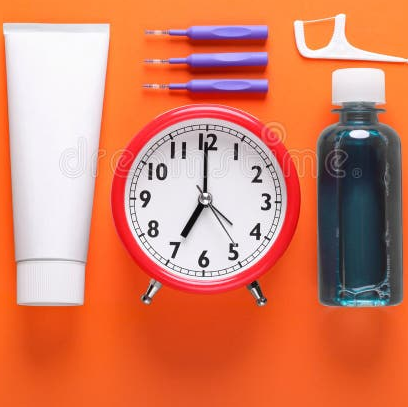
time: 6:59
